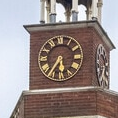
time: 5:35
